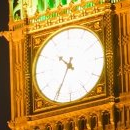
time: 10:34
